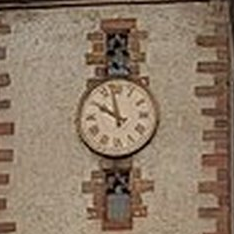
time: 9:57
